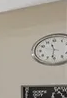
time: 11:31
